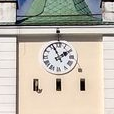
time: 1:56
